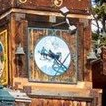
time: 9:22
